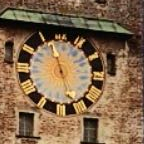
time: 11:28
